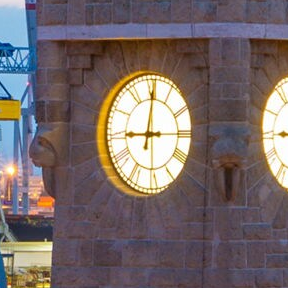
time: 9:01
